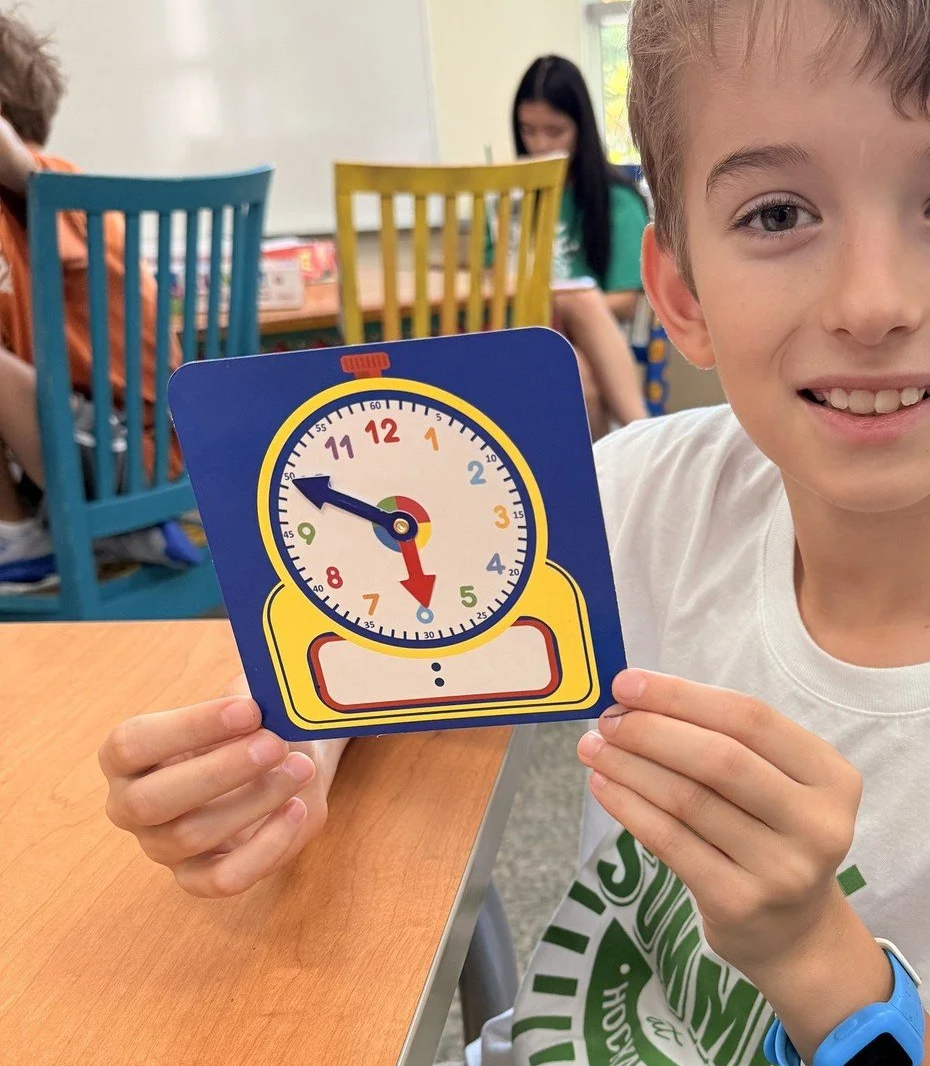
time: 5:49
